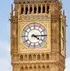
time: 4:14
